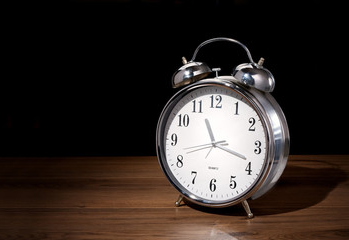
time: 11:18
